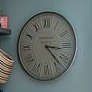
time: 3:22
